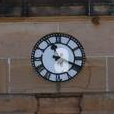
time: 11:18
